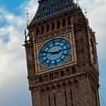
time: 2:48
